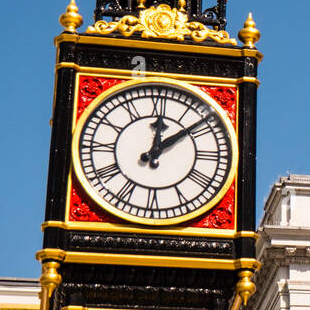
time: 12:08
